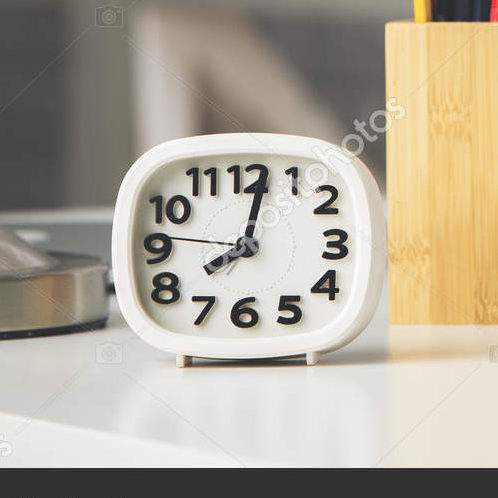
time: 8:02
